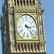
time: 3:23
